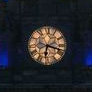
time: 6:17
